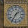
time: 1:35
